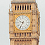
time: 9:34
